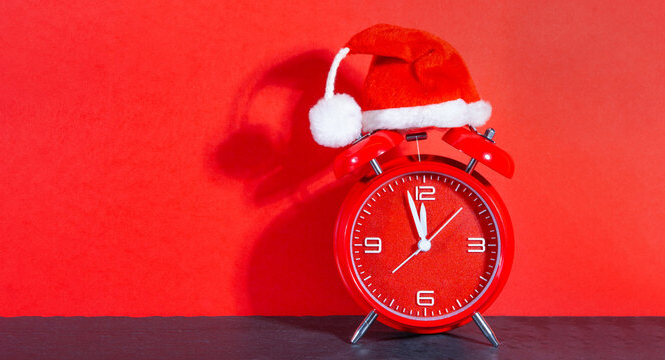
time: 11:57
